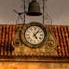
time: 5:06
